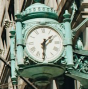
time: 1:31
